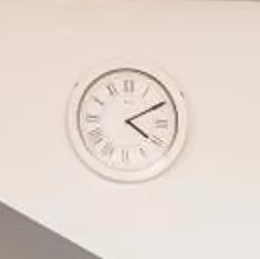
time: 4:10
